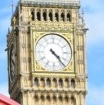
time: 4:23
